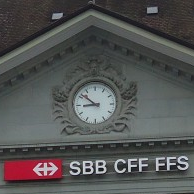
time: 8:51
